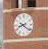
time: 8:21
